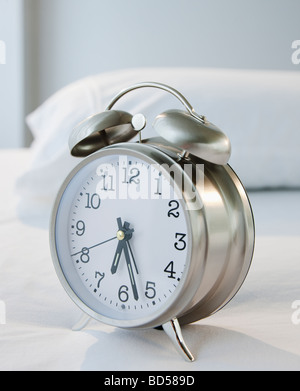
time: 6:27
